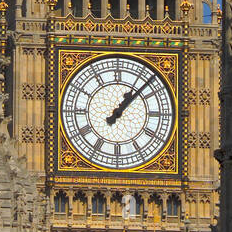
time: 1:07
